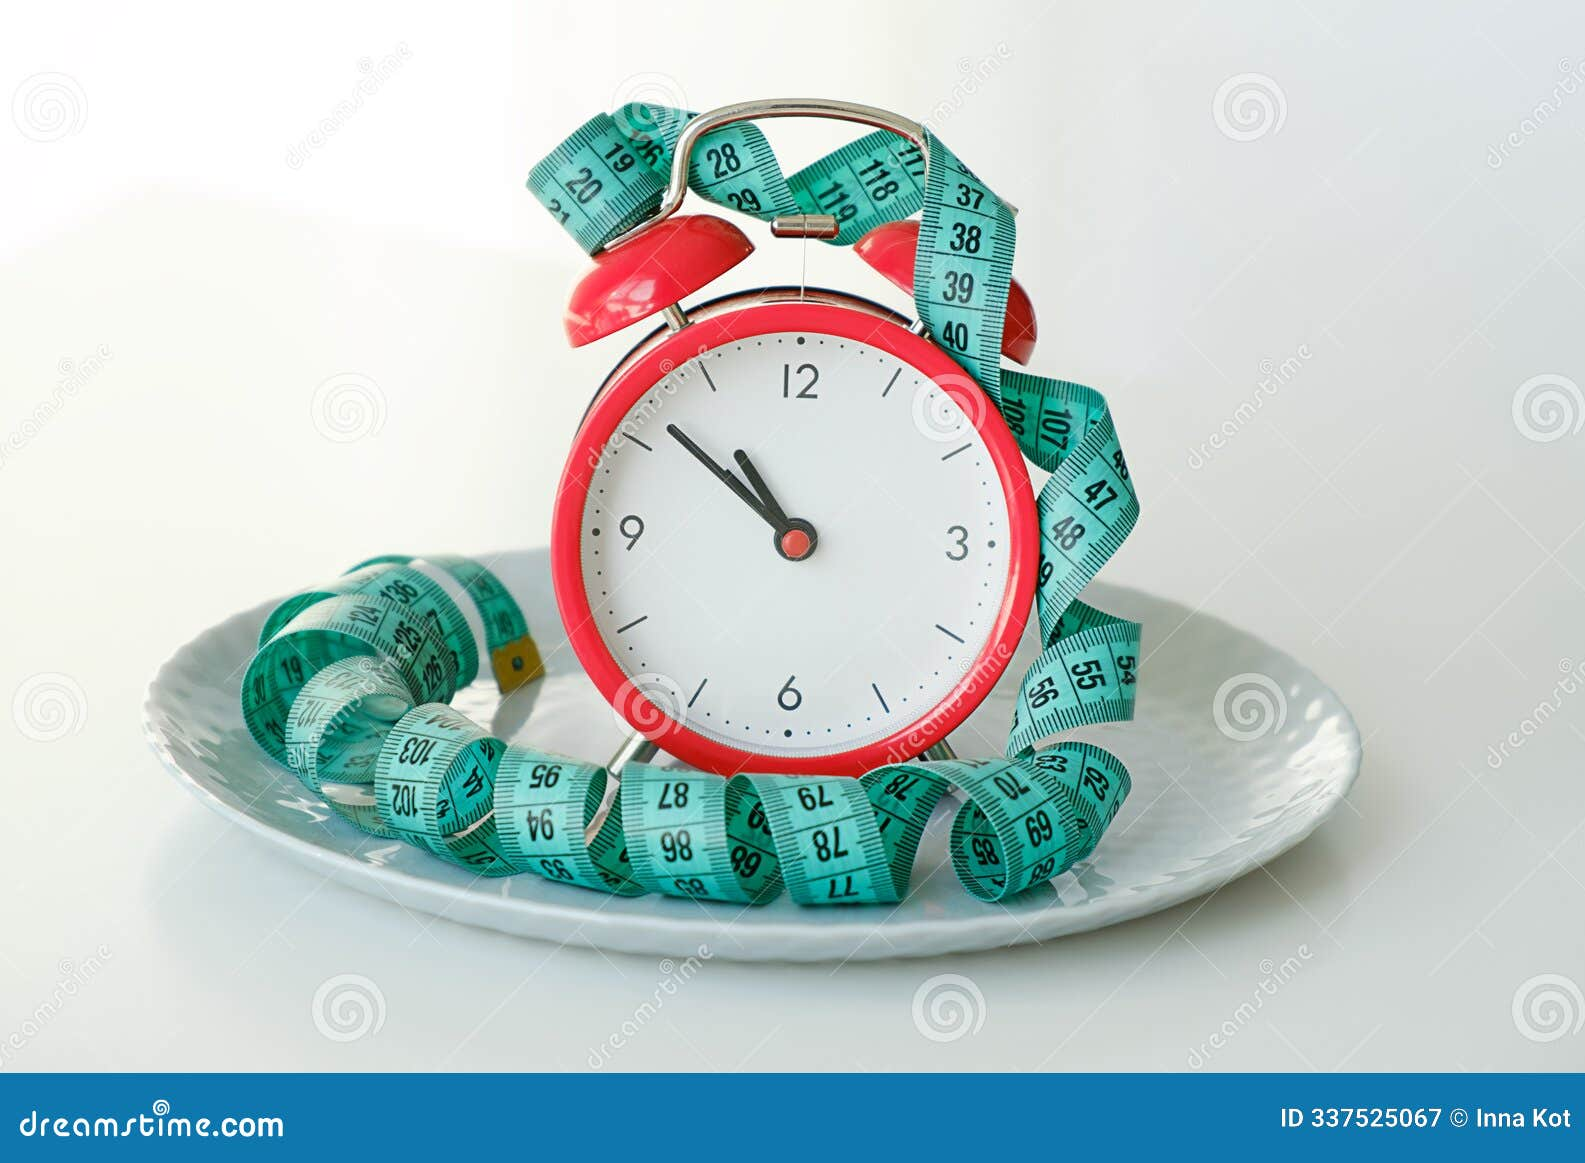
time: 10:51
